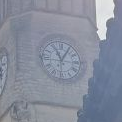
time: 11:05
